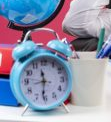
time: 11:31
